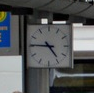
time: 4:45
